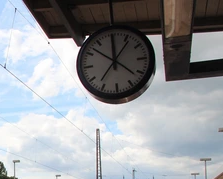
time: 12:06
